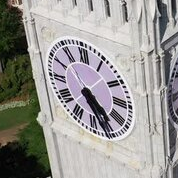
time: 4:26
